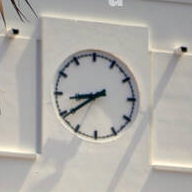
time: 8:39
